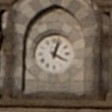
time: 4:03
